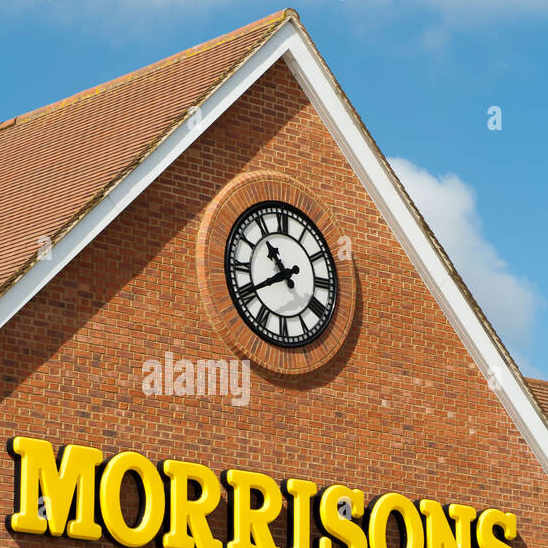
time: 10:40
